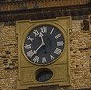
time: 11:37
